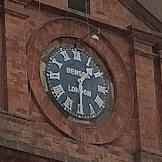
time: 1:29
